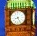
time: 8:25
